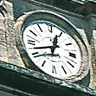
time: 12:42
